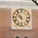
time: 9:54
